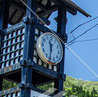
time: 11:31
